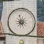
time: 8:57
